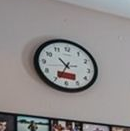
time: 10:34
